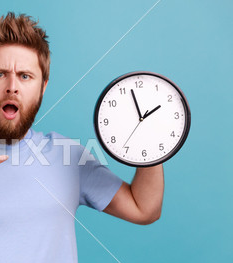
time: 1:57
